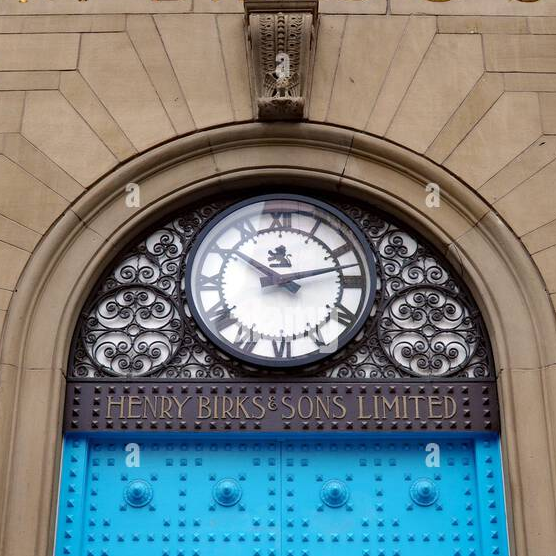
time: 10:12
